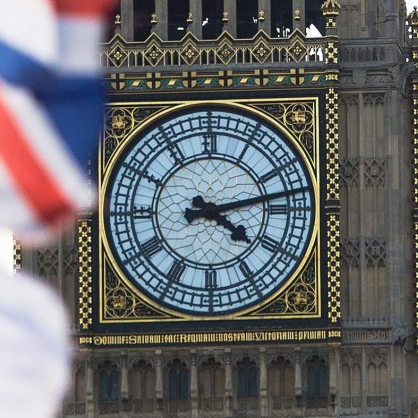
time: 4:12
